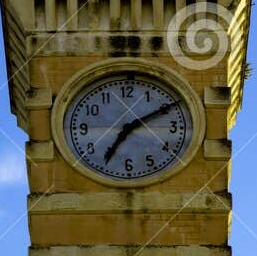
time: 7:09
